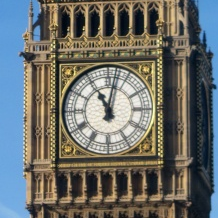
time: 11:02
